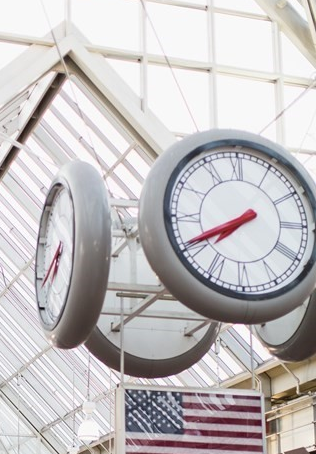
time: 7:40
